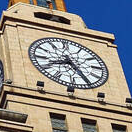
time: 8:24
